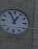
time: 12:55
